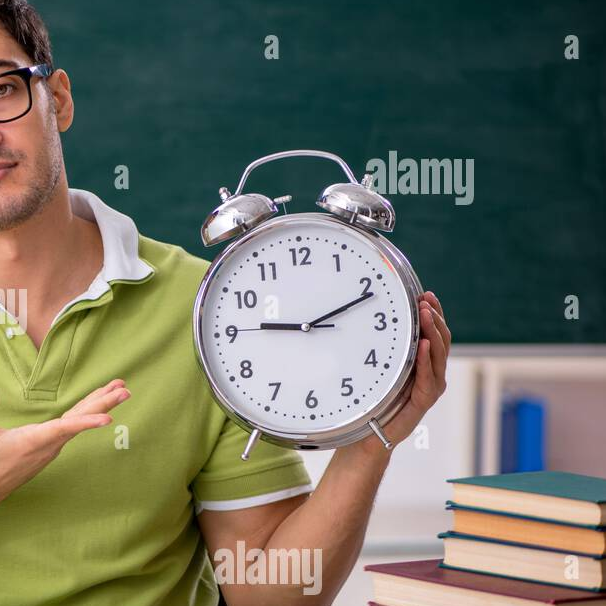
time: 9:11
